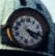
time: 4:17
